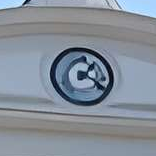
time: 1:20
